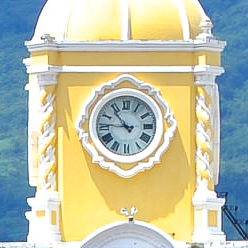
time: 10:45
